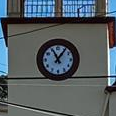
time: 11:06
